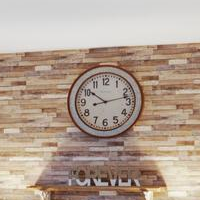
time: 10:12
